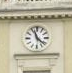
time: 11:21
